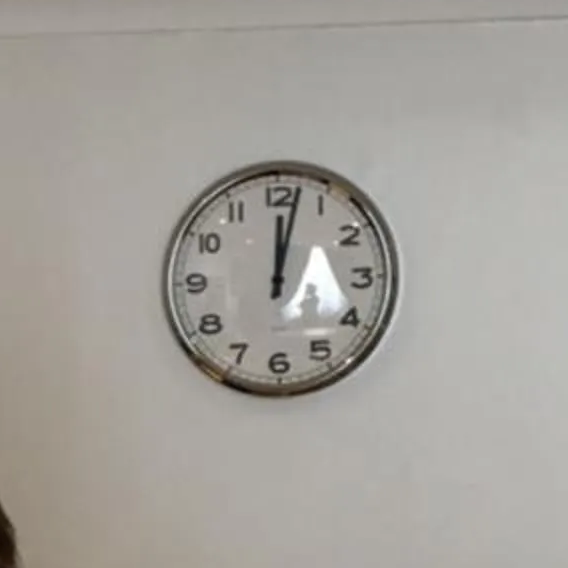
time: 12:02
